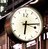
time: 6:14
